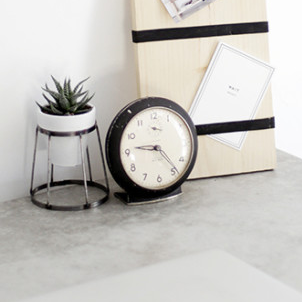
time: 9:23
